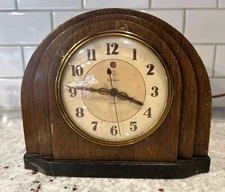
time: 3:46
